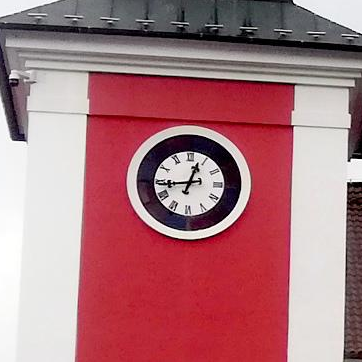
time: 12:44
